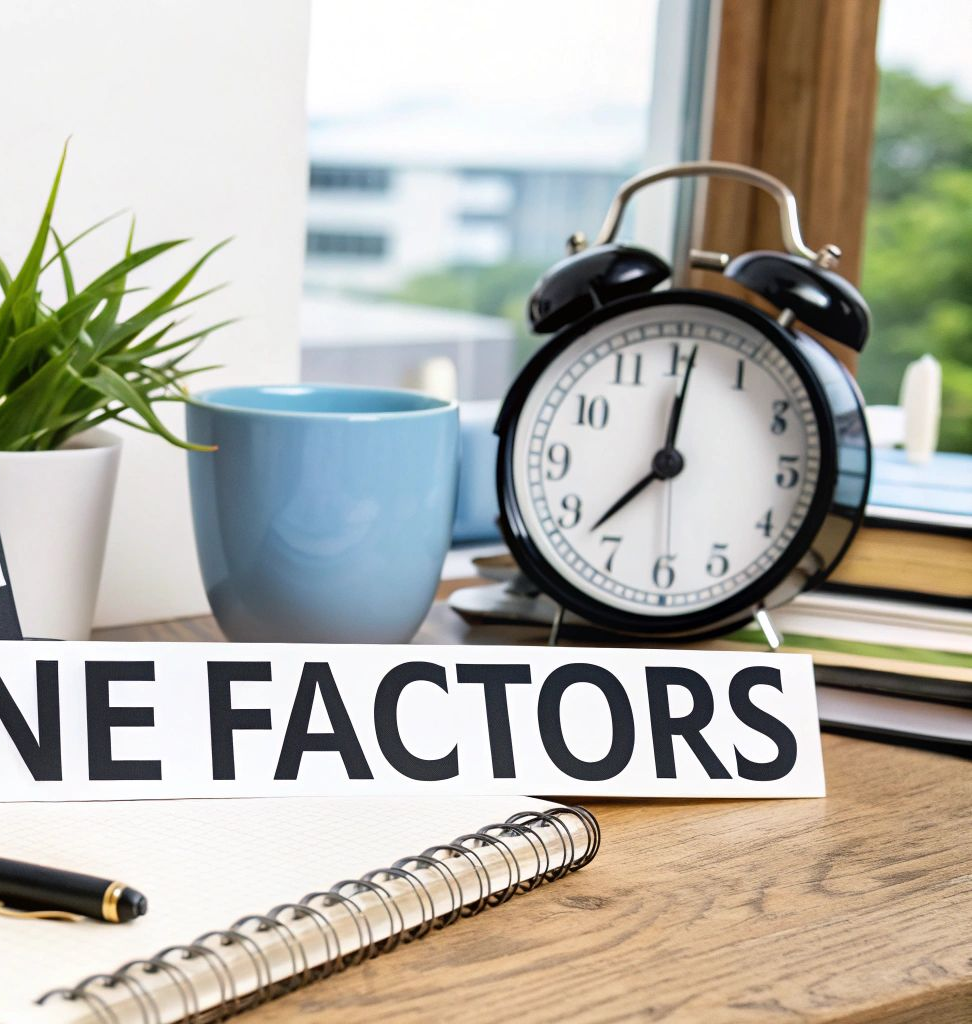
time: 8:01
